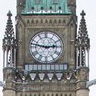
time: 2:47
